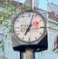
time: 7:02
